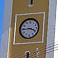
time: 3:44
